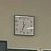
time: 11:33
